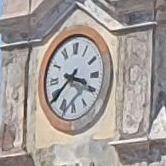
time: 3:39
